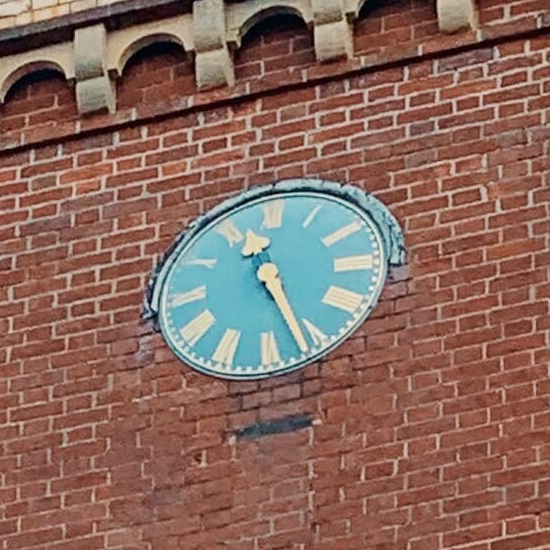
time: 11:26
